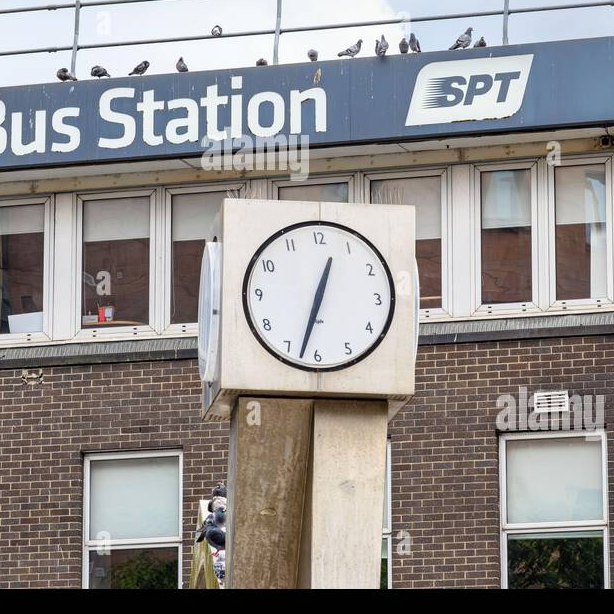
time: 12:32
